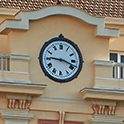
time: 9:18
